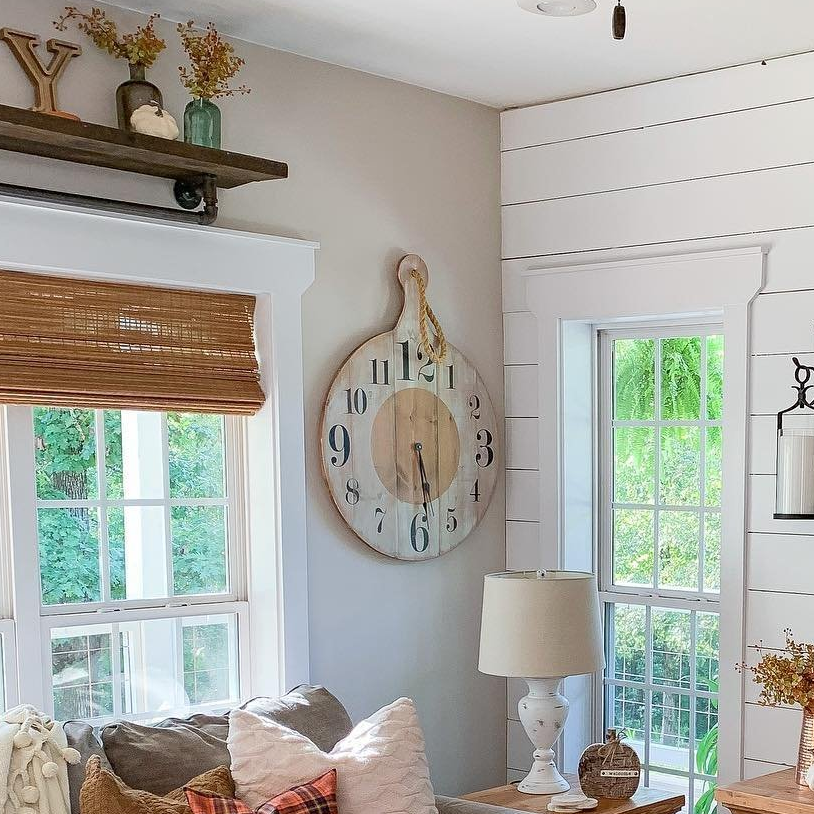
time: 5:29
